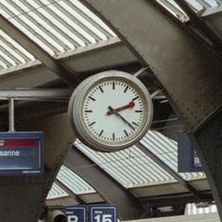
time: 2:21
